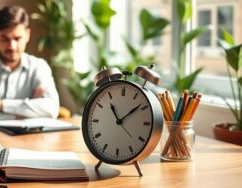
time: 11:08
